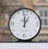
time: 12:59
